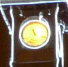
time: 11:32
